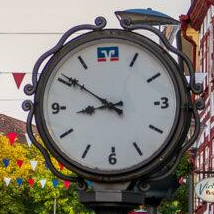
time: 8:50
